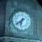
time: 6:39
